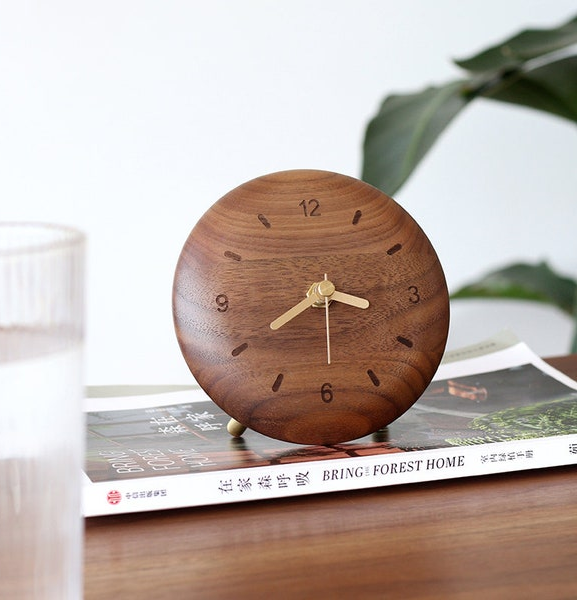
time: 3:39
